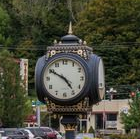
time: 4:50
